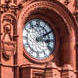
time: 3:09
